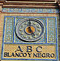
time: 4:59
